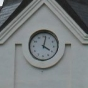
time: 4:01
